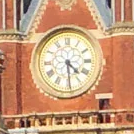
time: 4:29
